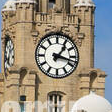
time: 1:17
